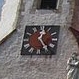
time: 12:24
